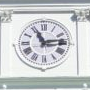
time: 11:13
